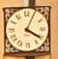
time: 4:04
